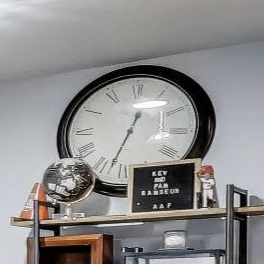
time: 12:33
